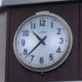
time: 10:37
